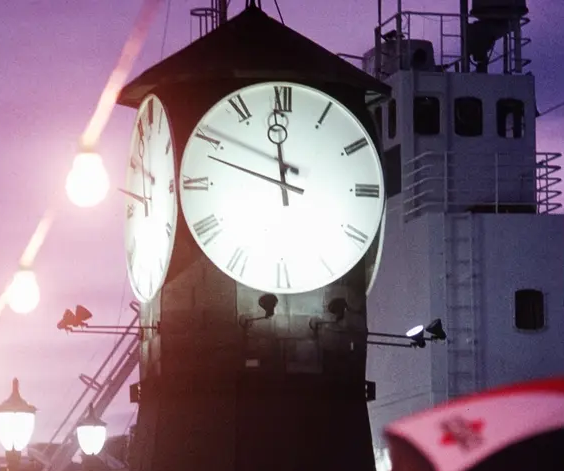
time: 11:48
